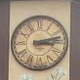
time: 3:12
